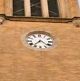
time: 7:21
